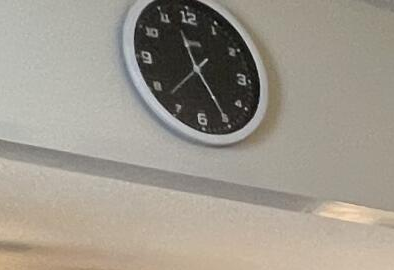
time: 11:37
